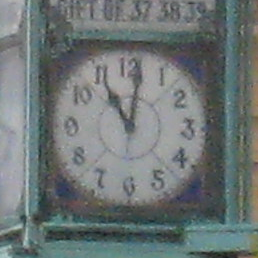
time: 11:01
